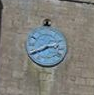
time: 2:40
